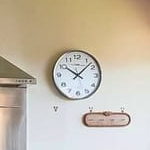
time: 10:07
